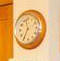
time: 11:35
